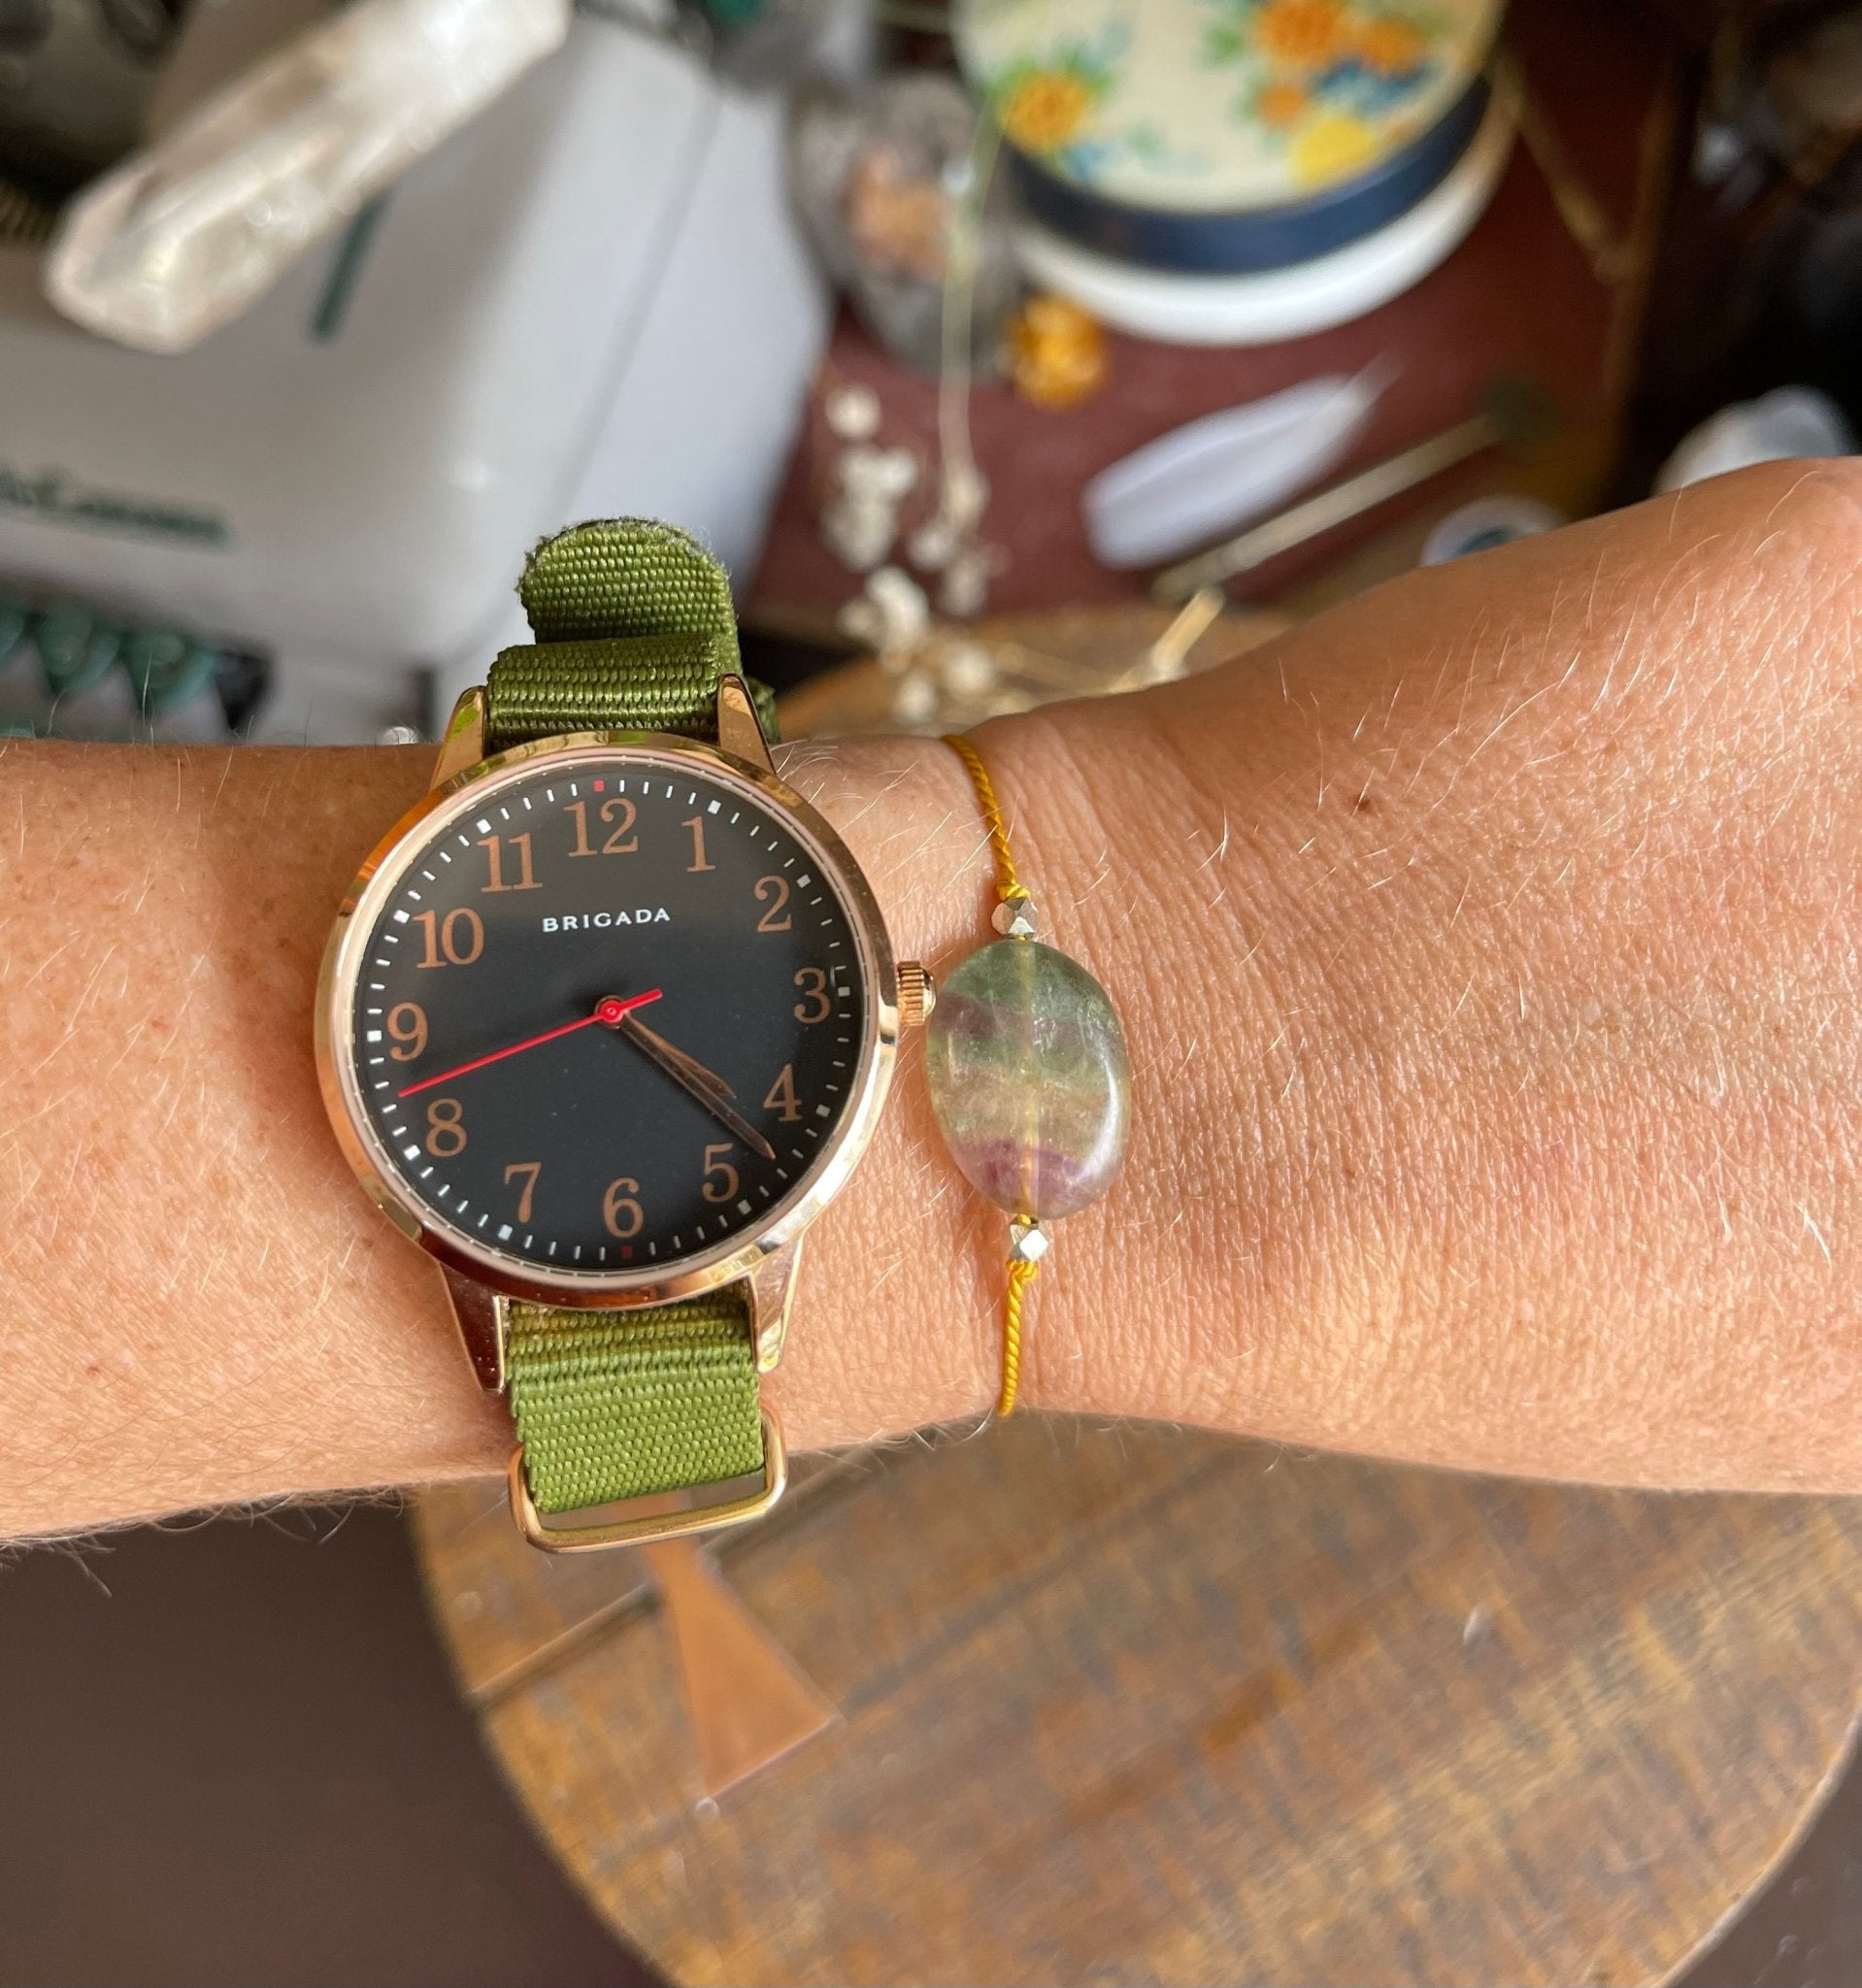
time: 8:22
